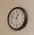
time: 12:47
